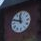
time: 11:48
